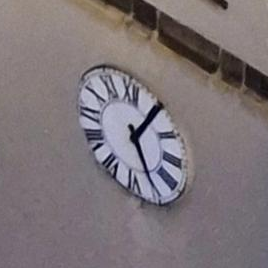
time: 5:05
